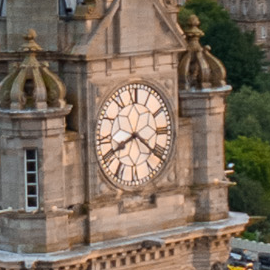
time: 8:21
